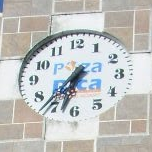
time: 6:36
